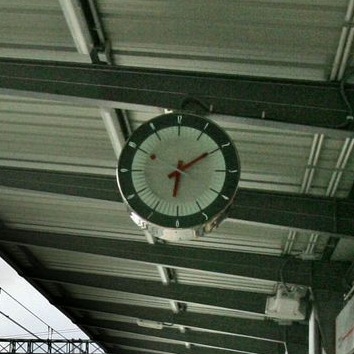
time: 6:09
